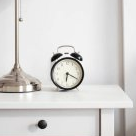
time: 6:19
